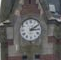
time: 3:09
